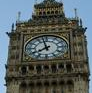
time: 7:57
